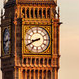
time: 8:40
